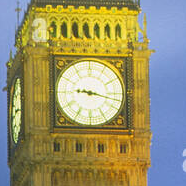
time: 9:17
